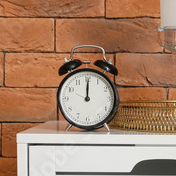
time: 12:00
